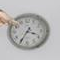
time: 3:35
